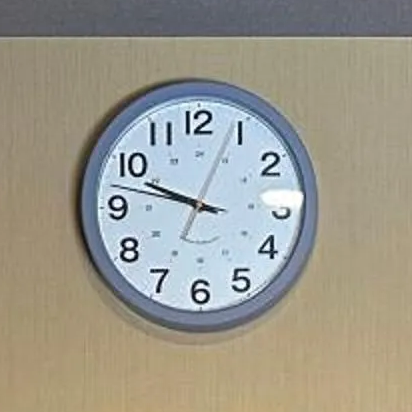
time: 9:47
